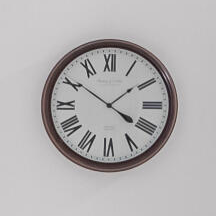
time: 1:50
